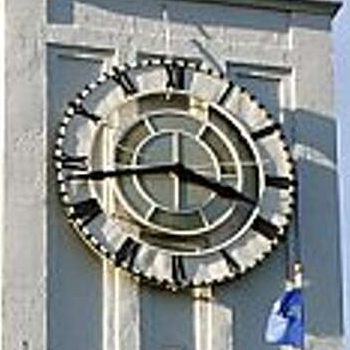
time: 3:43
